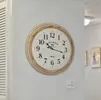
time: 10:17
